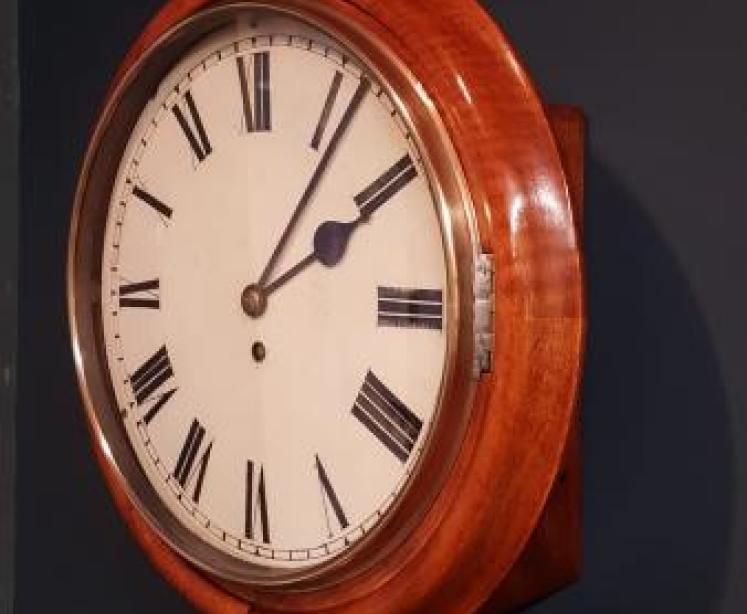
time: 2:06
